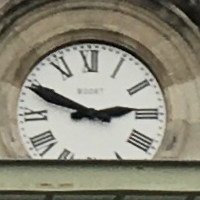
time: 2:49
